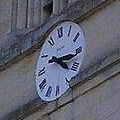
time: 4:16
